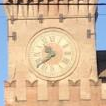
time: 10:39
